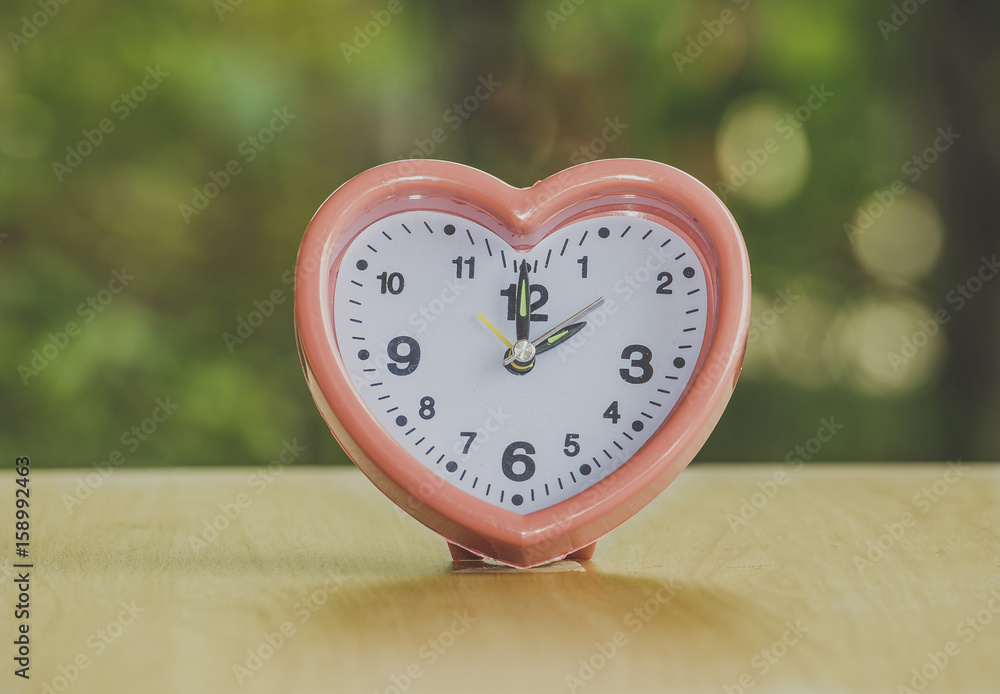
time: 2:00
